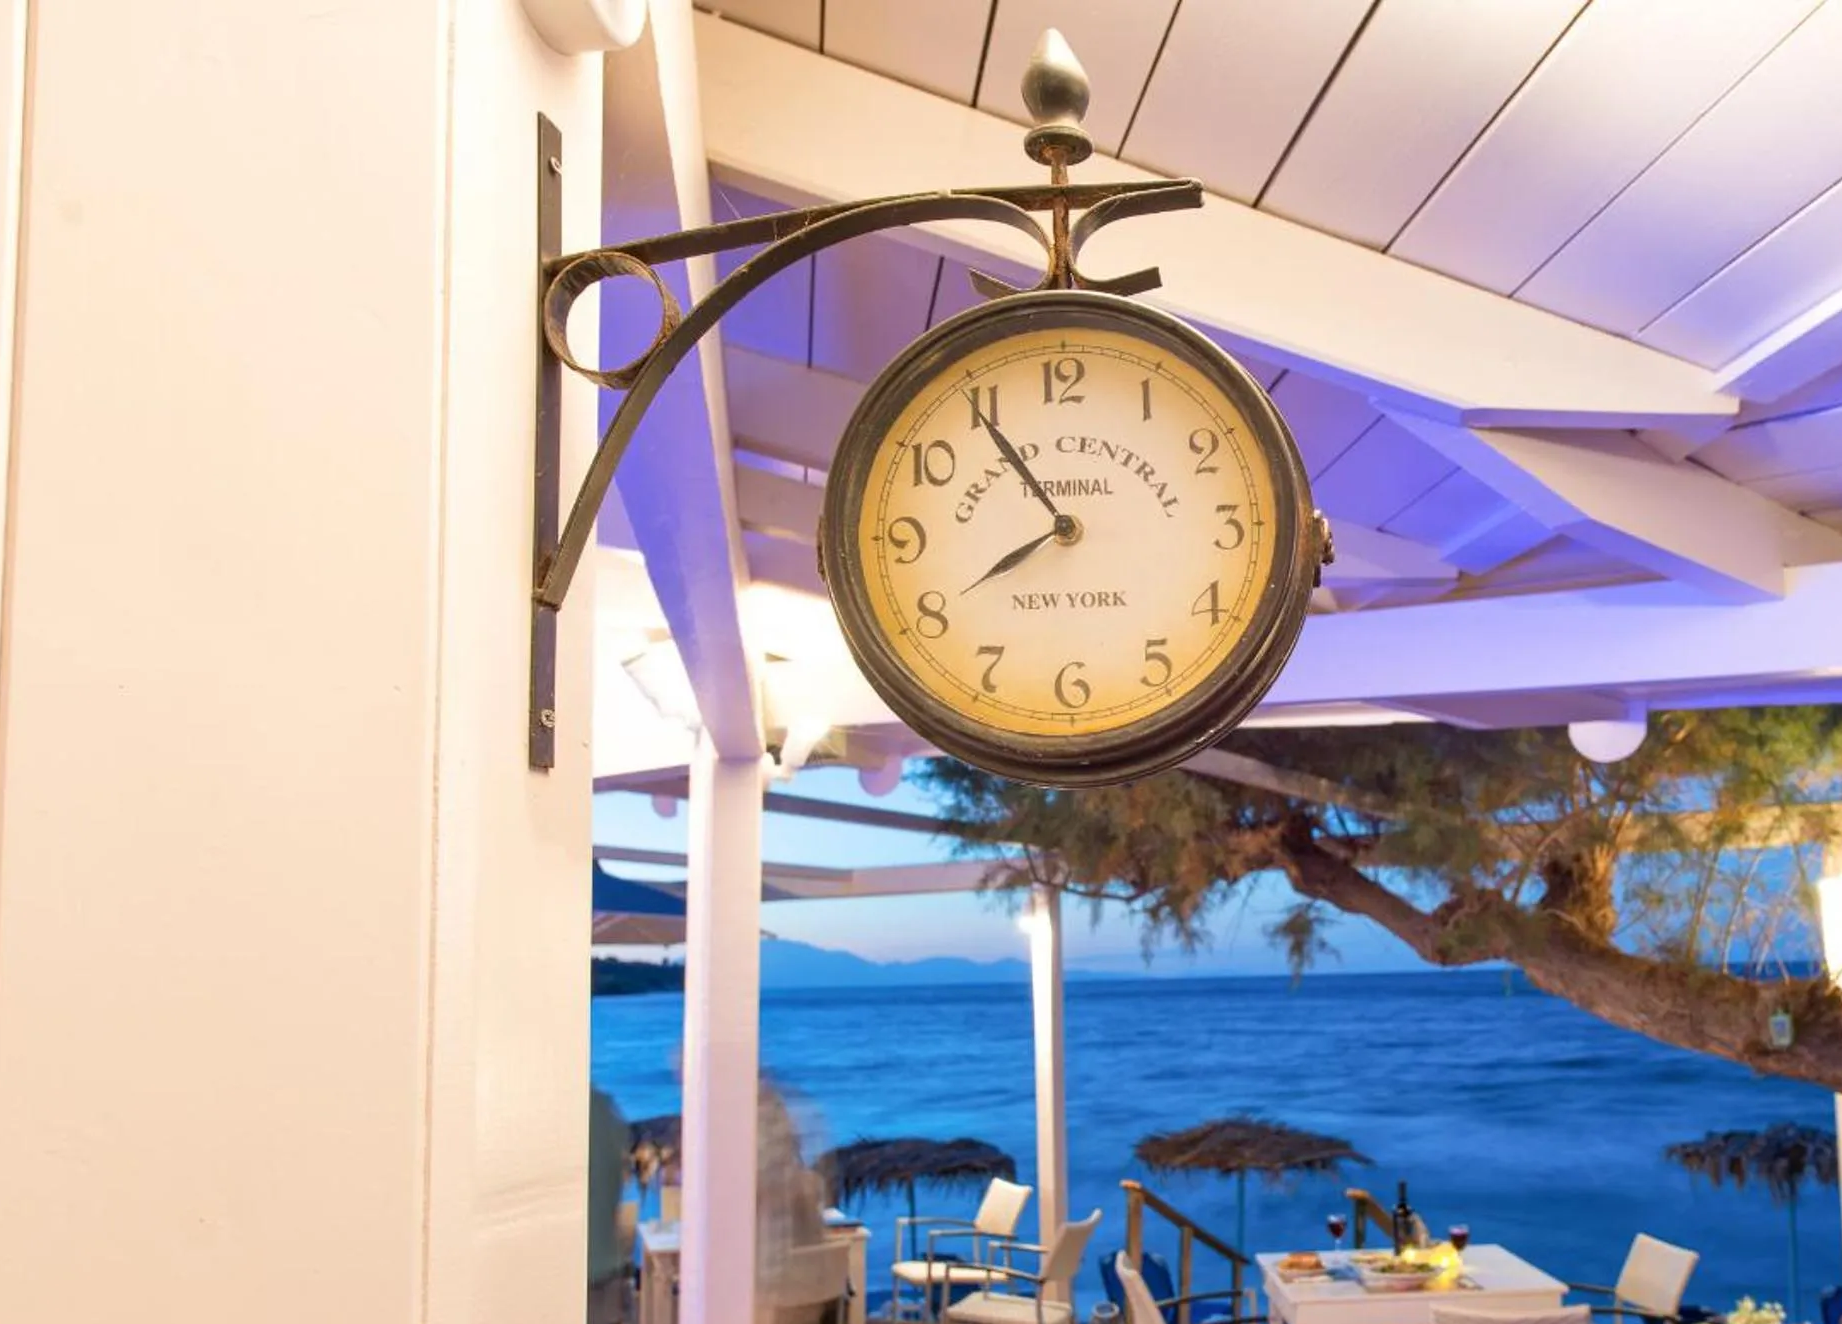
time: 7:54
